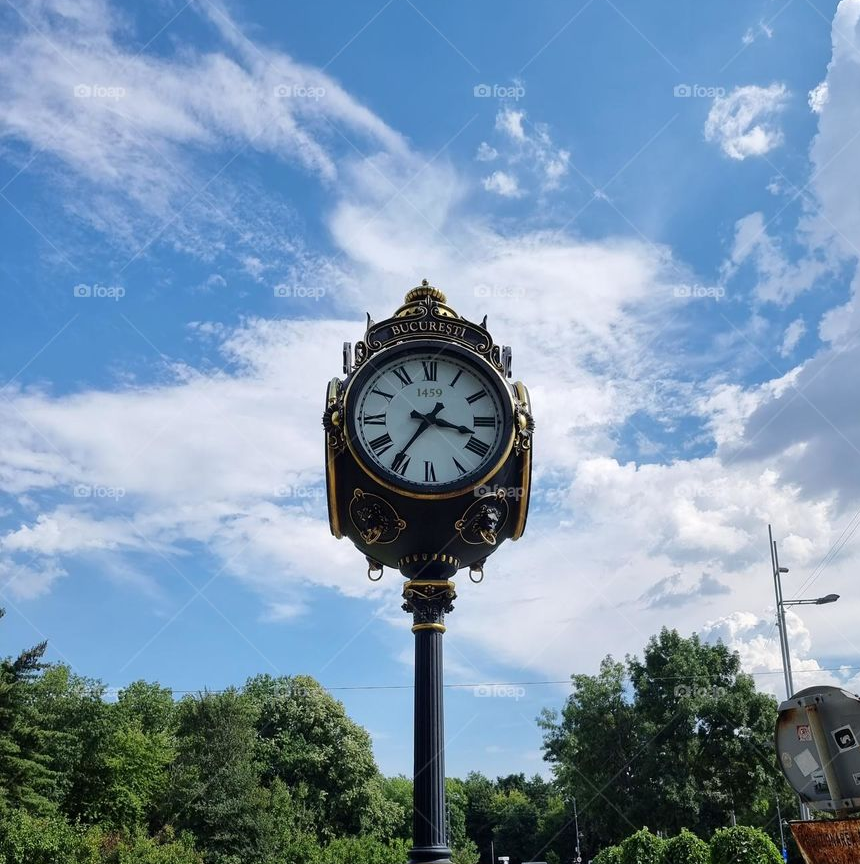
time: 3:35
